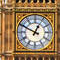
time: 12:49
